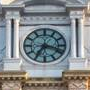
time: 7:17
